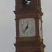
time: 12:36
